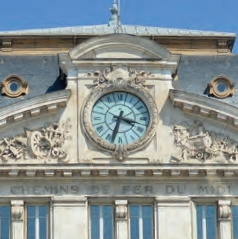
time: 3:33
